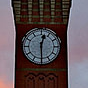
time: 12:29
